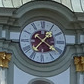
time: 1:21
